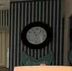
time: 11:07
